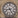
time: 8:25
